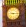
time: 9:15
